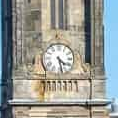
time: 4:27
